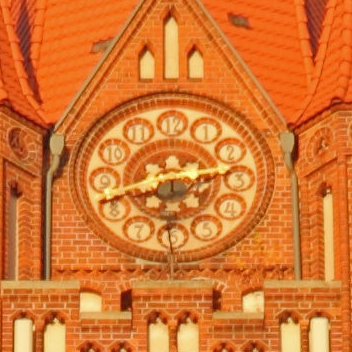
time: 2:41
